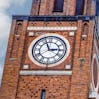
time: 2:56
